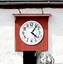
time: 4:06
